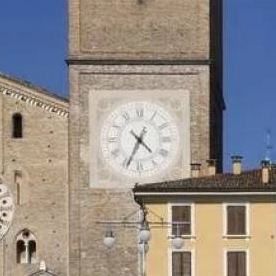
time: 4:34
